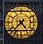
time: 4:37
